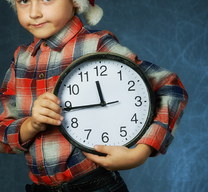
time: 11:44
